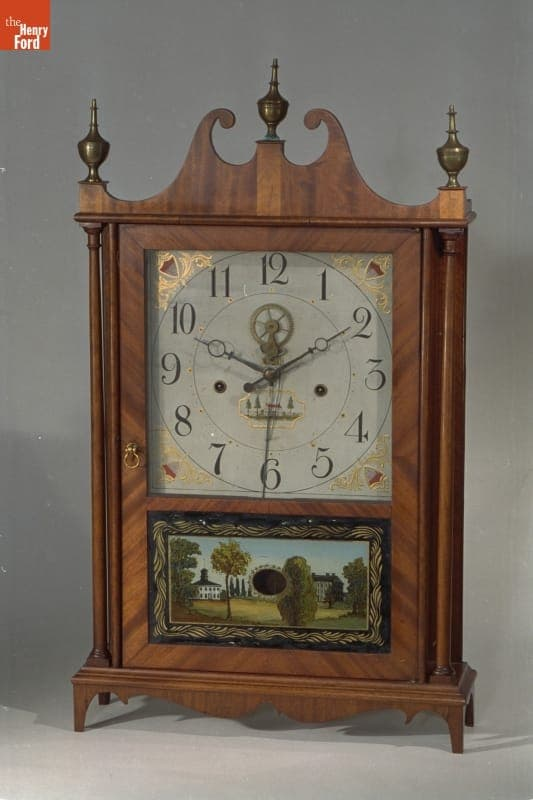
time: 12:10
